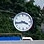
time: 3:43
